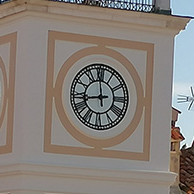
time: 11:43
